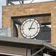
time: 3:04
